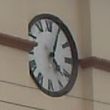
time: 4:04
